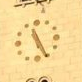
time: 11:25
